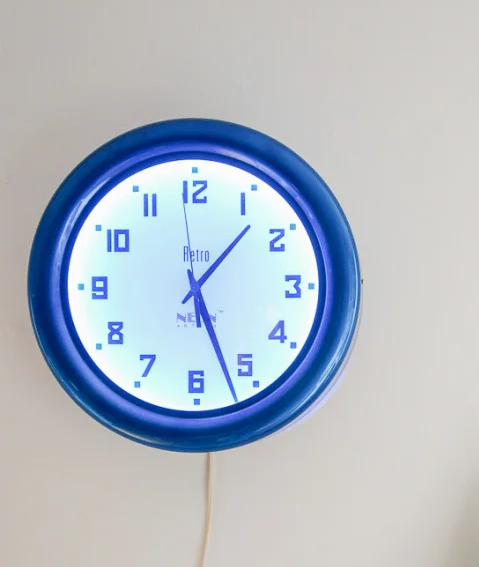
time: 1:26
